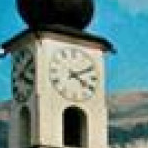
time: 4:10
